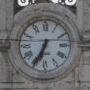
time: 6:34
